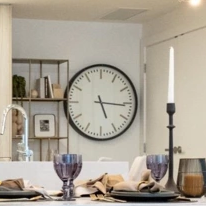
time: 5:15
